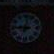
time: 9:01
